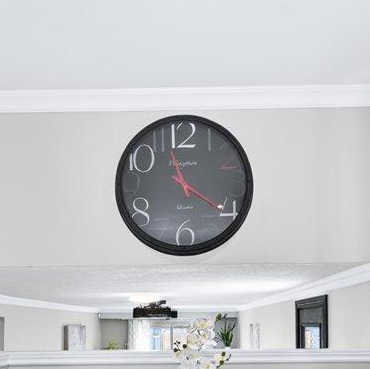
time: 11:20
